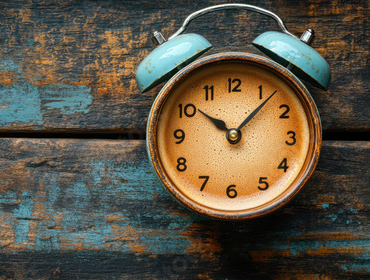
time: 10:07
